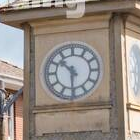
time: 10:30
